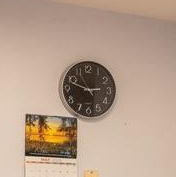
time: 2:48
